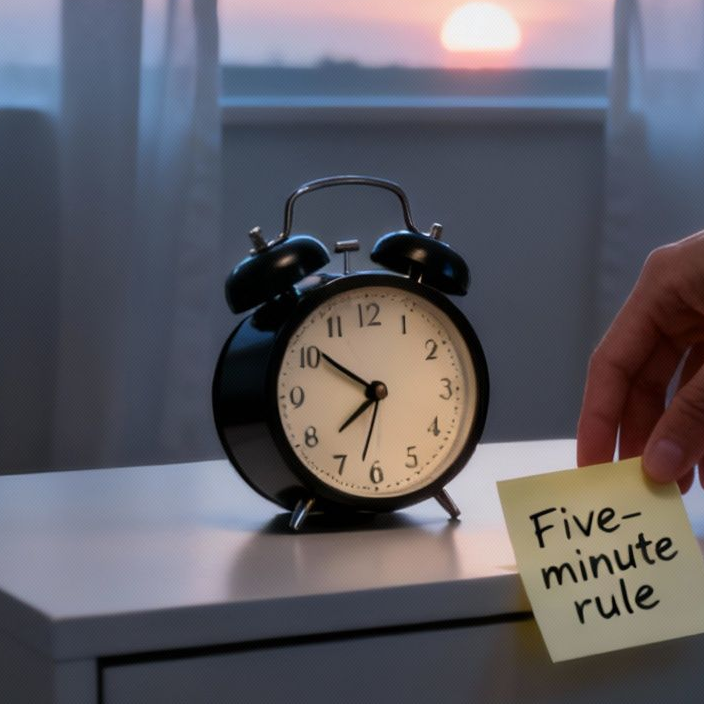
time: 7:51
